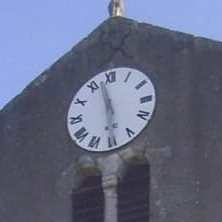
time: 5:57
